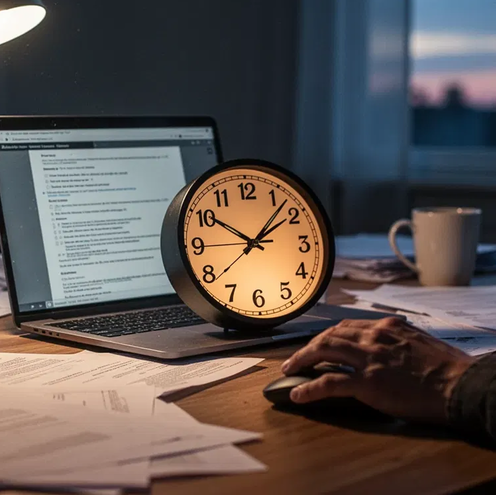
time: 10:07
